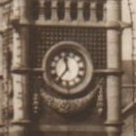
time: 11:36
